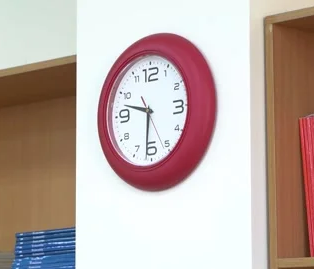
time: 9:31
